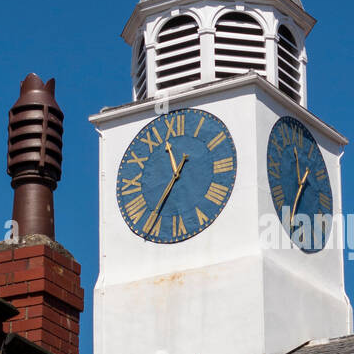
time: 11:35
